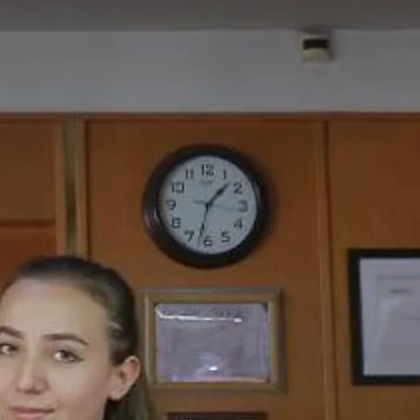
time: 1:32
